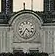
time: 4:35
